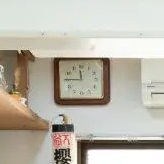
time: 11:45
